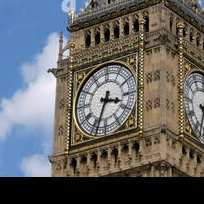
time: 3:33
